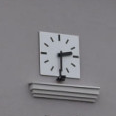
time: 2:29
